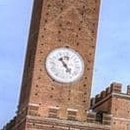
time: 4:23
